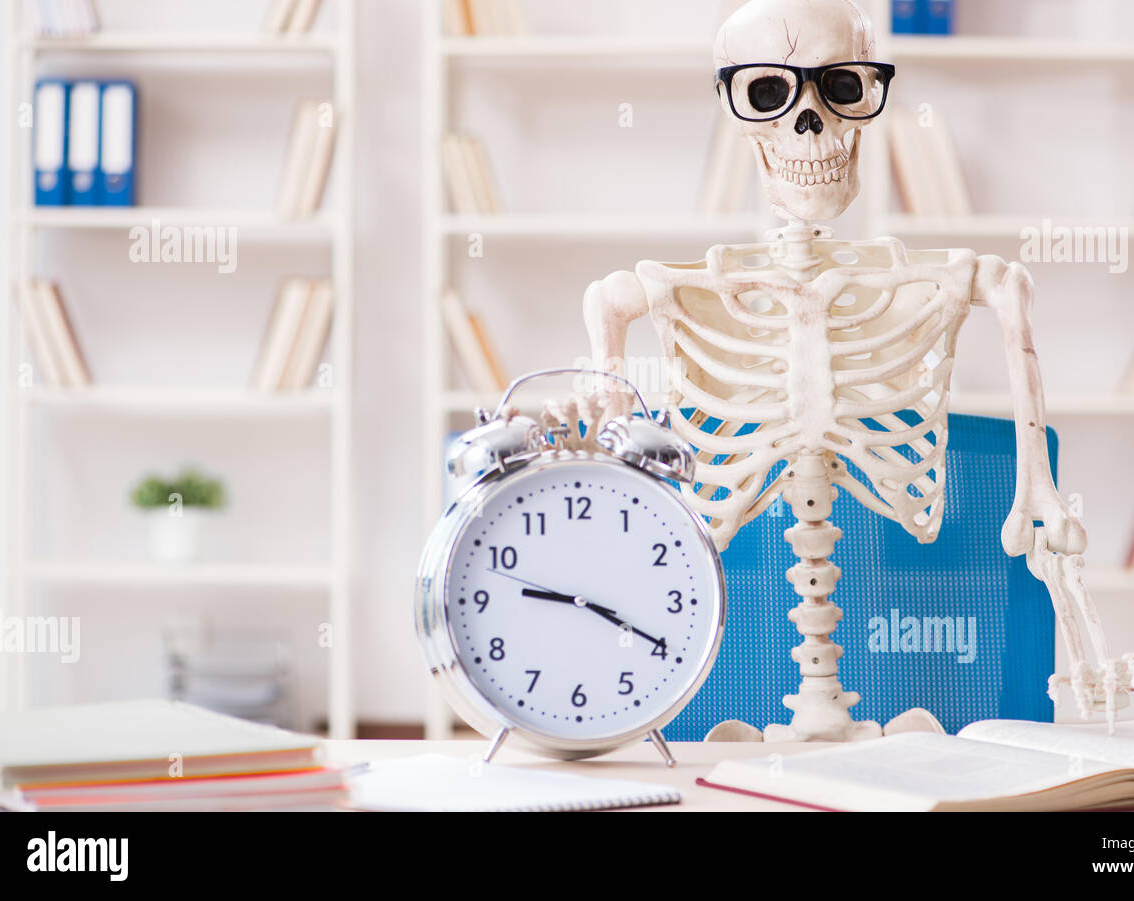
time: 9:19
